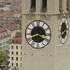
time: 3:40
